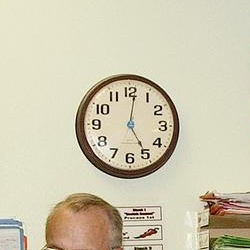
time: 5:01
